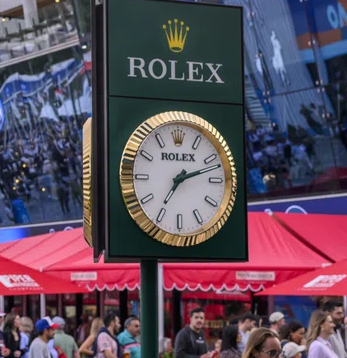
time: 7:12
